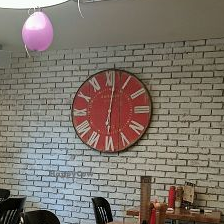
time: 6:01
